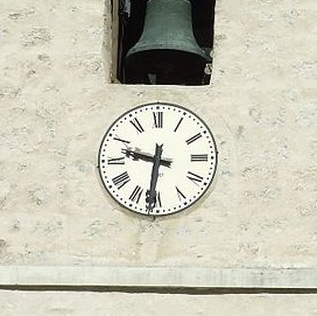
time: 9:31
